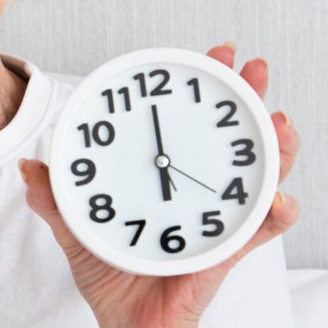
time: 5:59
